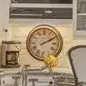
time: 2:09
